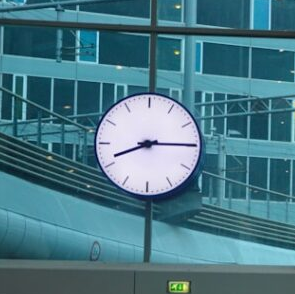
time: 8:14
